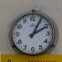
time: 2:04
